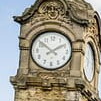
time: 1:51
